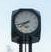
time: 7:42
